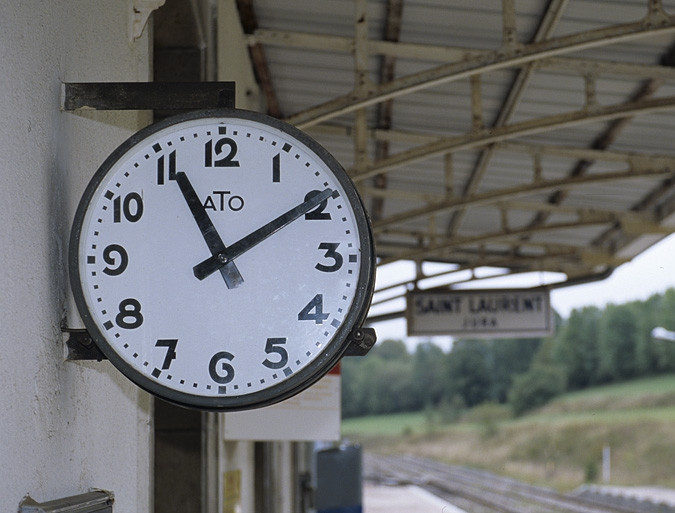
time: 11:09
